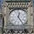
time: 12:24
